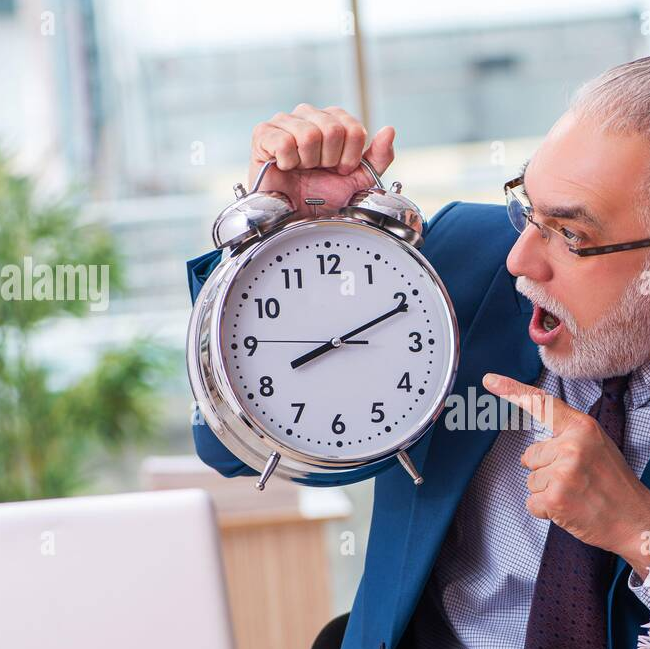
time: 8:10
